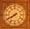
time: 7:40
